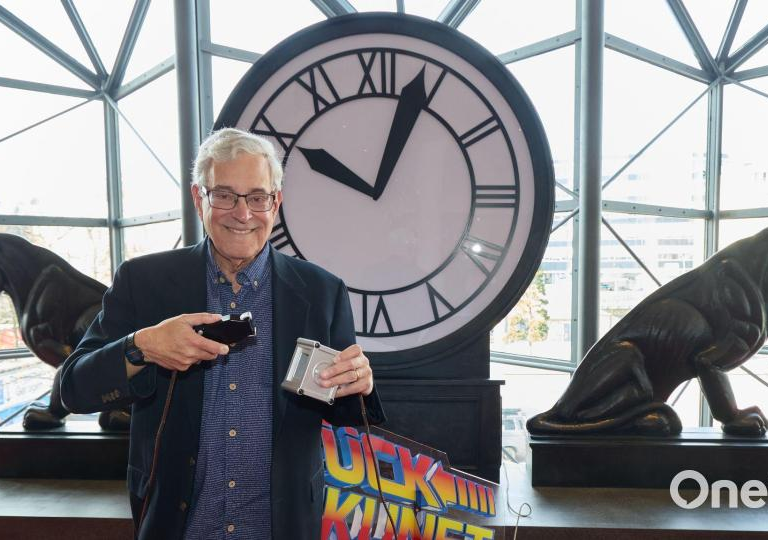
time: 10:03
